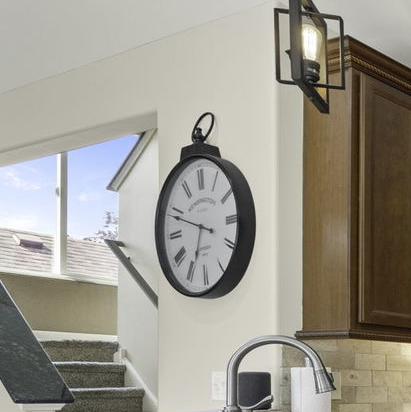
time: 6:48
